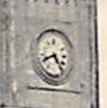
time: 4:40
